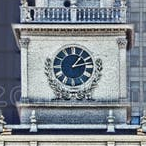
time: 1:12
